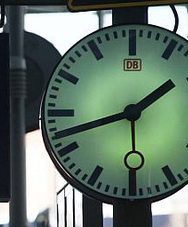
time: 1:42
